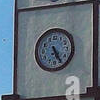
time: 5:24
